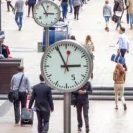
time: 2:55
